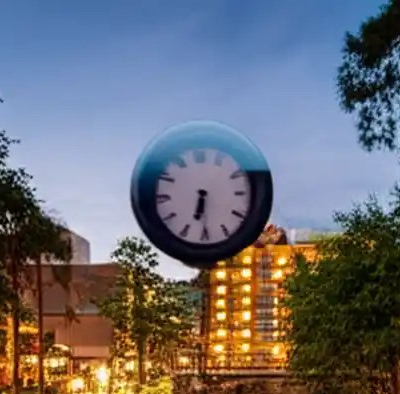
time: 6:29
